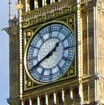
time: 1:41
